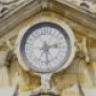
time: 2:27
